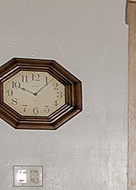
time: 10:07
